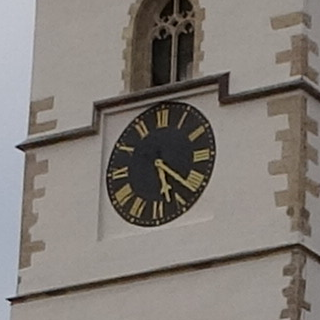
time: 5:21
